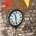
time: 11:28
